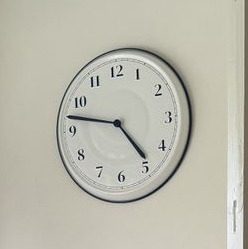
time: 4:47
